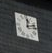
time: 12:12
